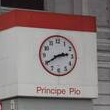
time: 2:40
